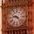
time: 9:22
